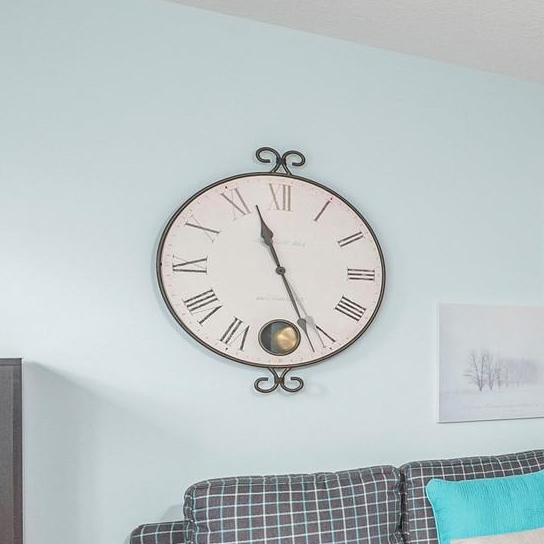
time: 11:26
